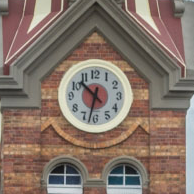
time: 10:32
